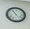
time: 4:54
